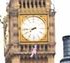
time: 7:43
